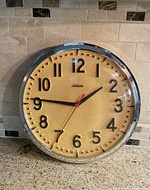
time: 1:46
